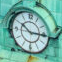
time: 10:15
